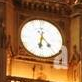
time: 6:23
